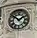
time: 1:51
